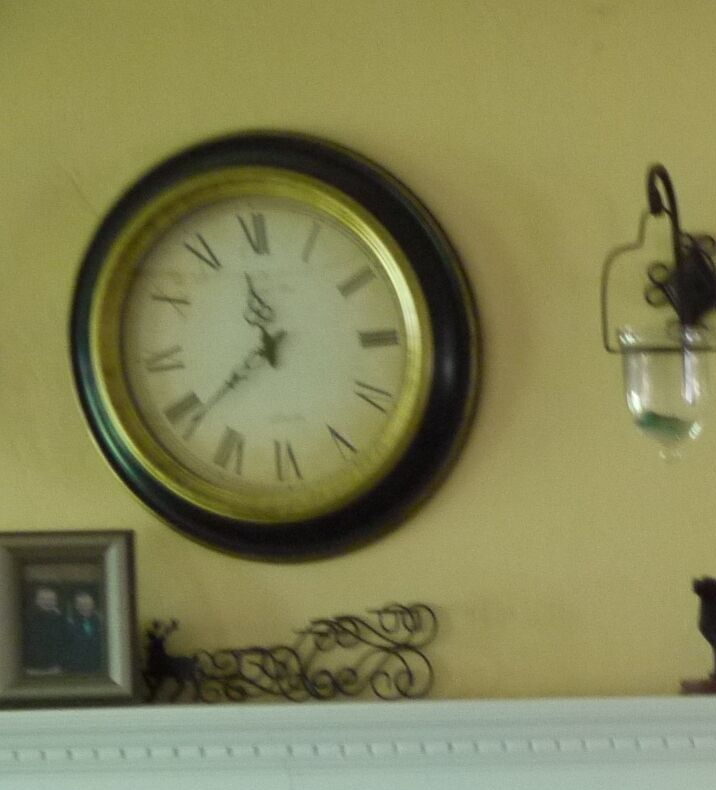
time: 11:38
